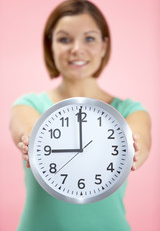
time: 8:59
